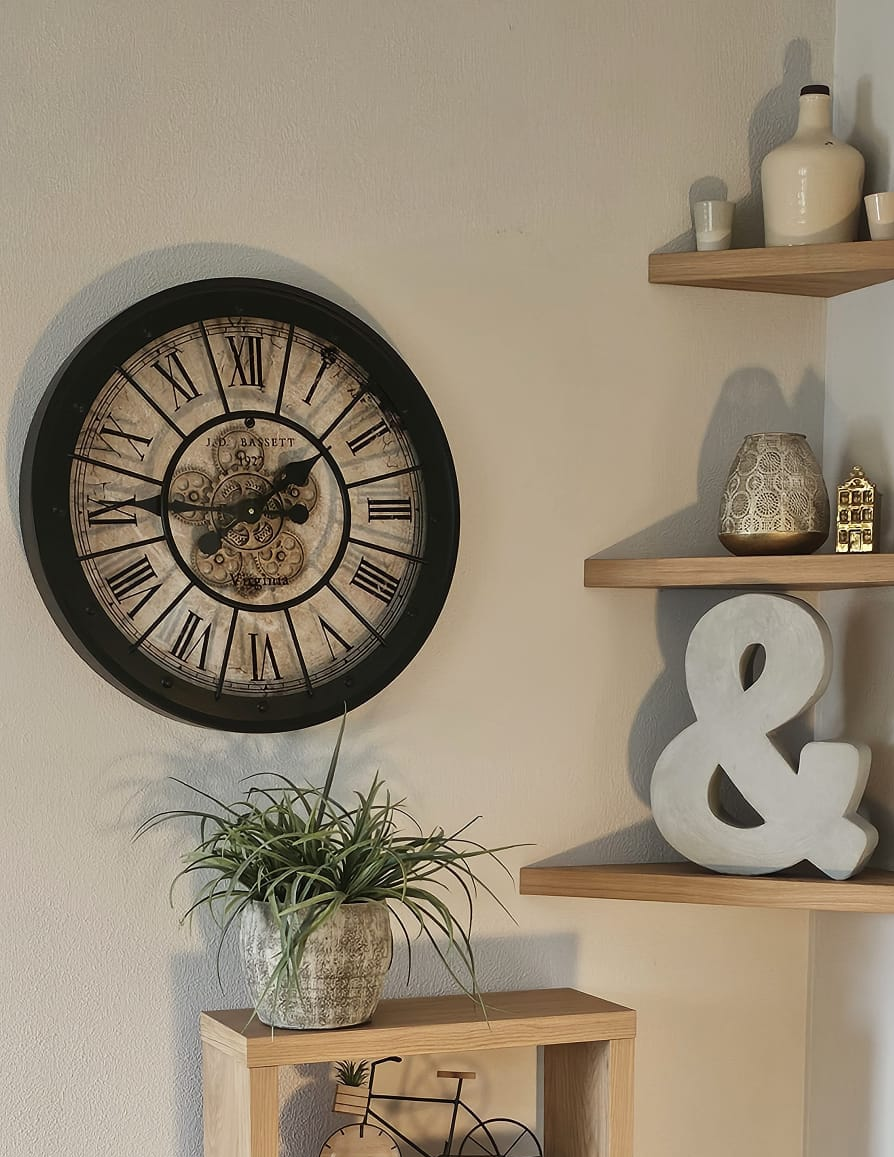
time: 1:45
